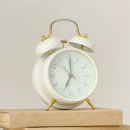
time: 7:00
